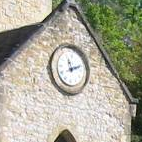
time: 11:11
